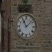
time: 11:07
